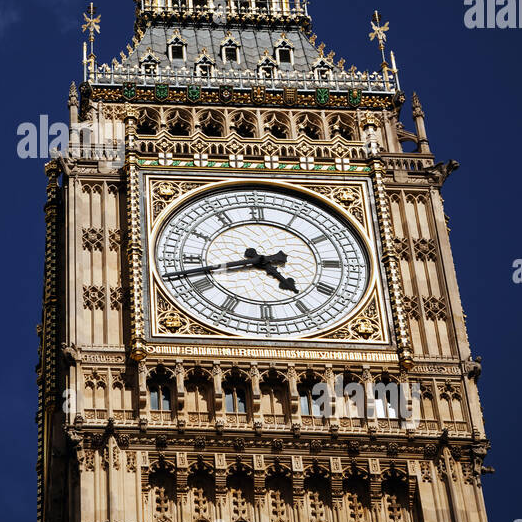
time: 4:42
